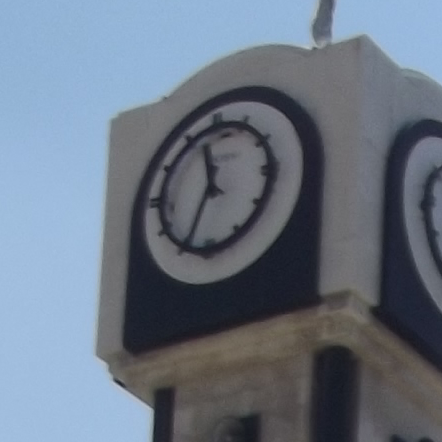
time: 11:34
